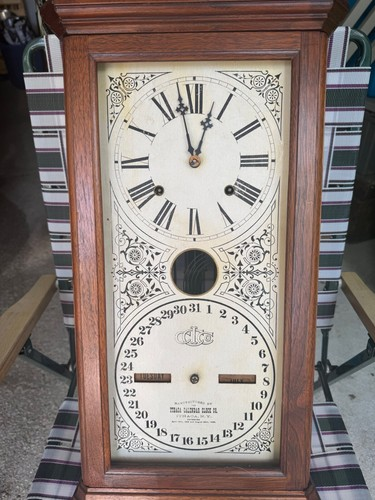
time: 12:57
